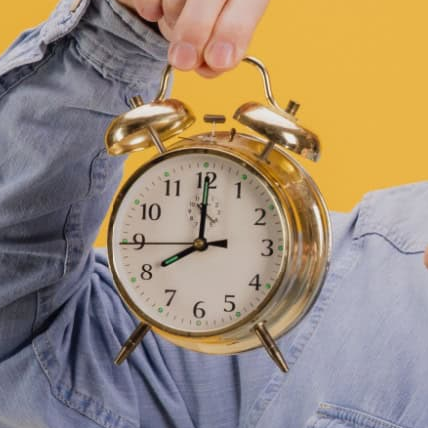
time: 8:00
